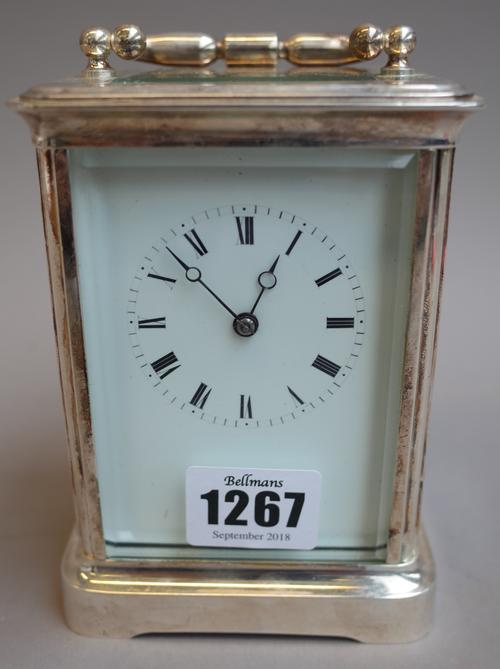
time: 12:52
